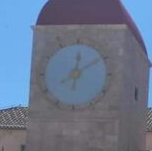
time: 8:01
